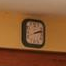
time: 2:12
